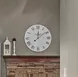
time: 12:08
